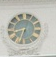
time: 8:32
